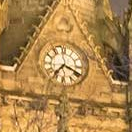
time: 7:18
